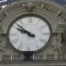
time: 9:51
